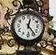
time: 12:23
